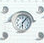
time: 6:06
